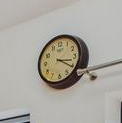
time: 3:20
